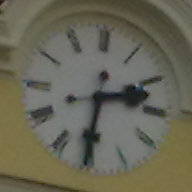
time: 2:30
